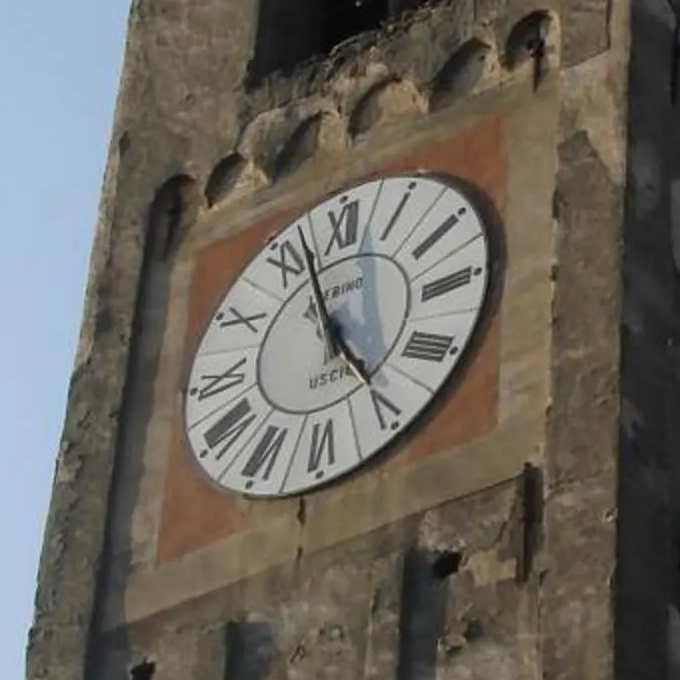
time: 4:56
